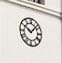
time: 10:07
